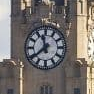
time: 11:38
